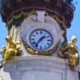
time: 1:36
